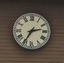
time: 2:35
